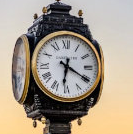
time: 6:20
